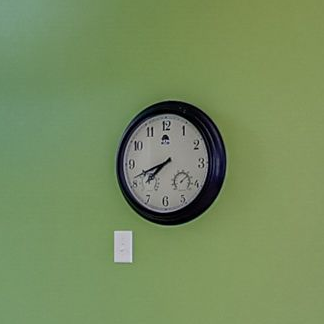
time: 7:41
